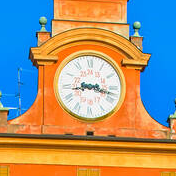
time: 8:17
